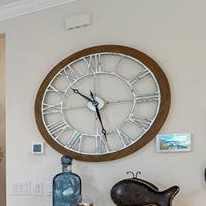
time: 10:28
